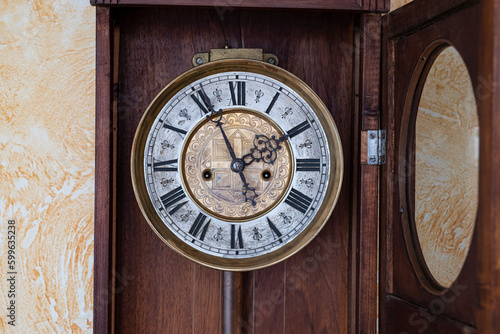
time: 1:55
